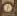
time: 12:32
